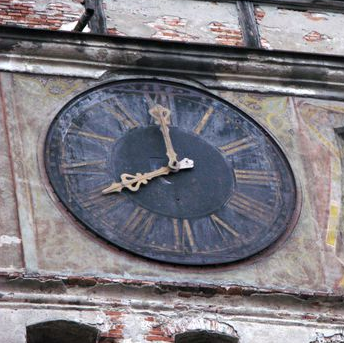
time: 7:59
